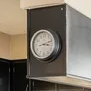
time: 3:12
